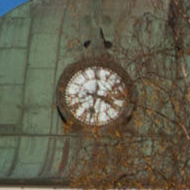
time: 3:32
